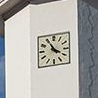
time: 3:54
